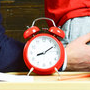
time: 8:09
